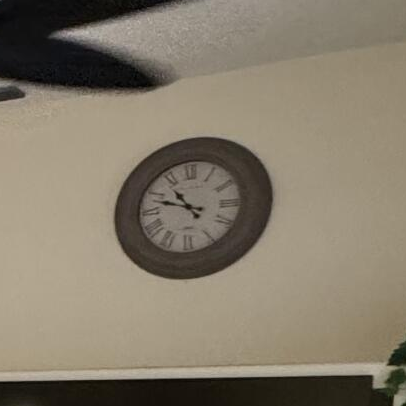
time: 10:48
